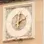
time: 2:01
